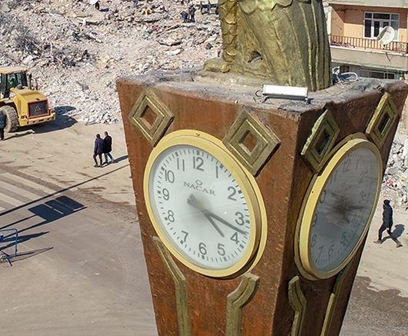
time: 4:17
